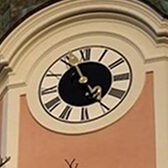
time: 4:56
